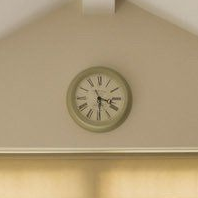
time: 3:29
